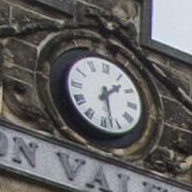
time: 1:27
